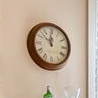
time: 11:52
